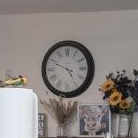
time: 4:48
